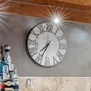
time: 7:34
